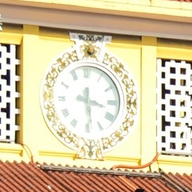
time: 3:29
